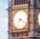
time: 7:19
